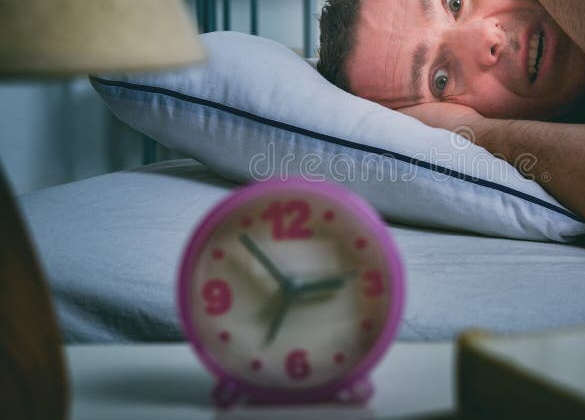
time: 6:53
